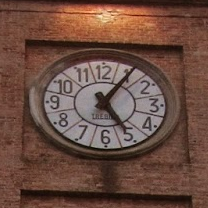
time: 5:05
